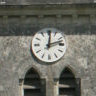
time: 12:12
